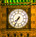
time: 7:34
